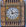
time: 11:13
